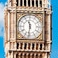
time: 11:31
